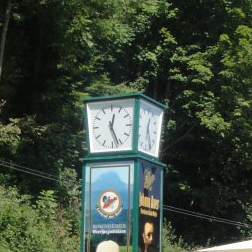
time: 12:26
